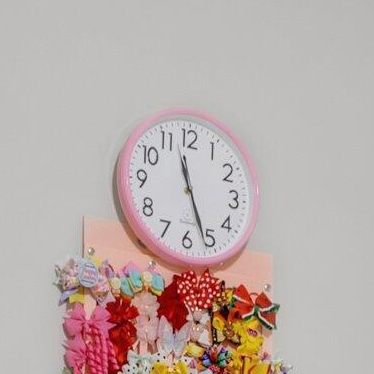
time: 11:26
